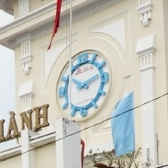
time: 10:12
